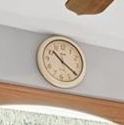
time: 10:20
